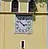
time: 2:52
